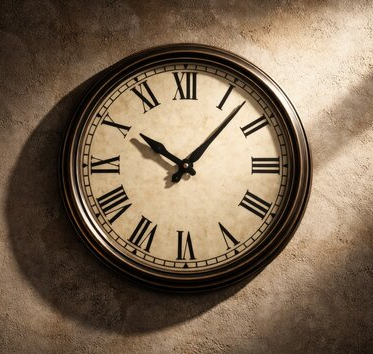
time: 10:07
